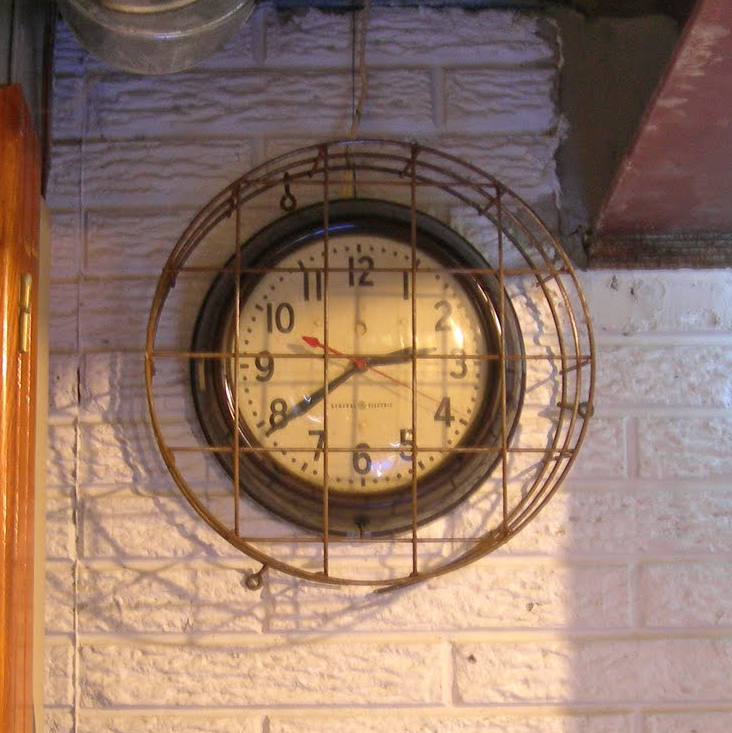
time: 2:39
